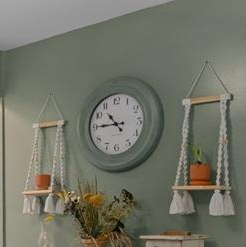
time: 10:45
